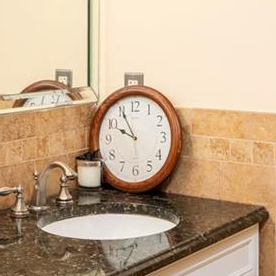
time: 9:55
